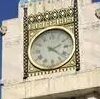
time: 2:21
